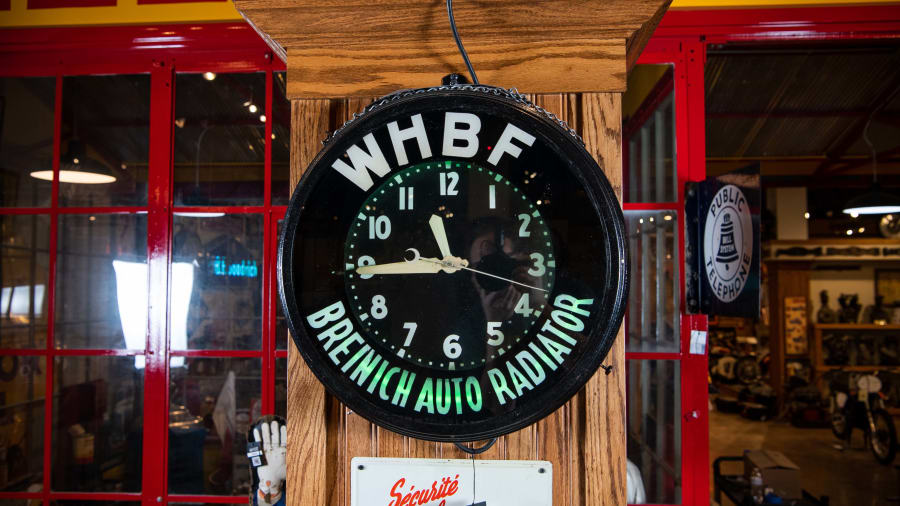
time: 10:44
